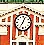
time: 7:04
